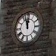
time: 11:57
